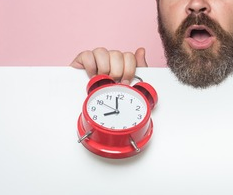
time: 7:58
